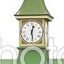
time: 12:28
